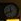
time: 11:42
